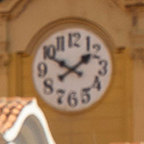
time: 1:49
